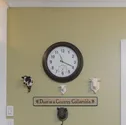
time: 11:19
